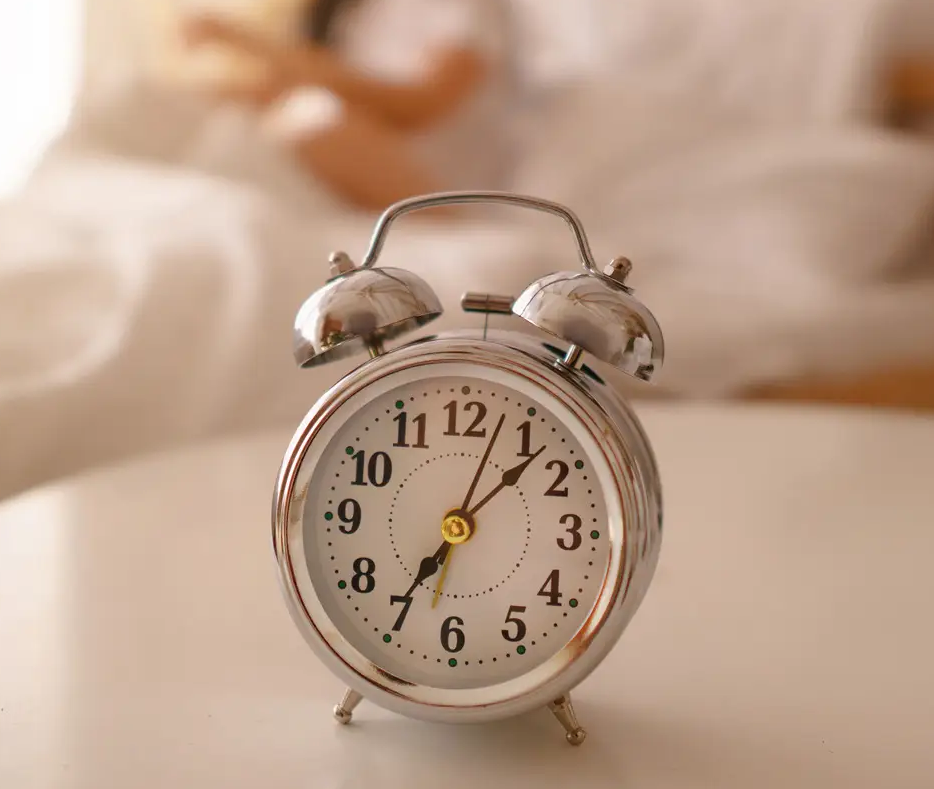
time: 7:07
